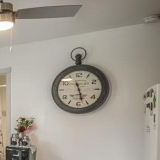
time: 5:27
